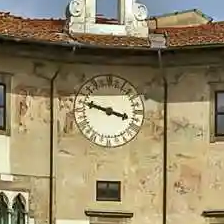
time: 3:47
